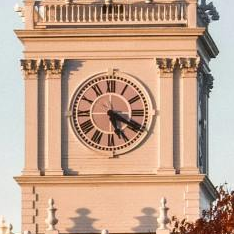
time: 5:19
